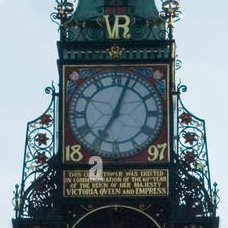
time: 7:03
